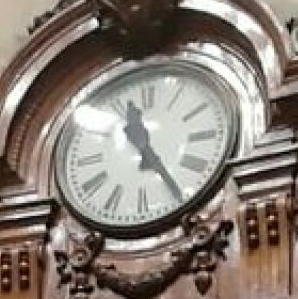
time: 11:24
